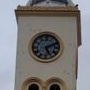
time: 5:11
